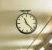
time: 11:22
